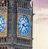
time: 3:35
